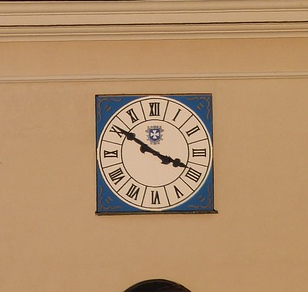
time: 3:50
